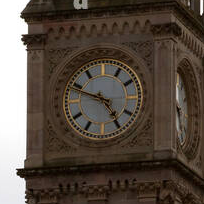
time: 4:48
